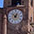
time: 12:52
